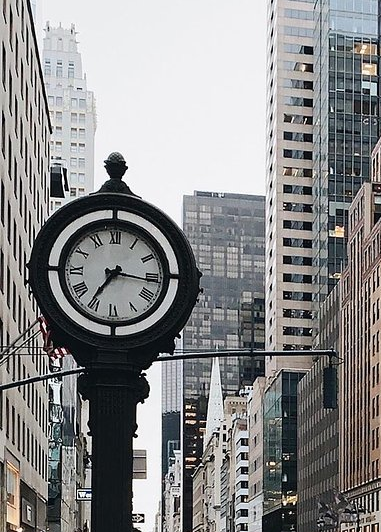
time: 7:15
